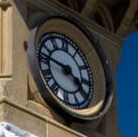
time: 3:46
